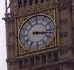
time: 3:16
